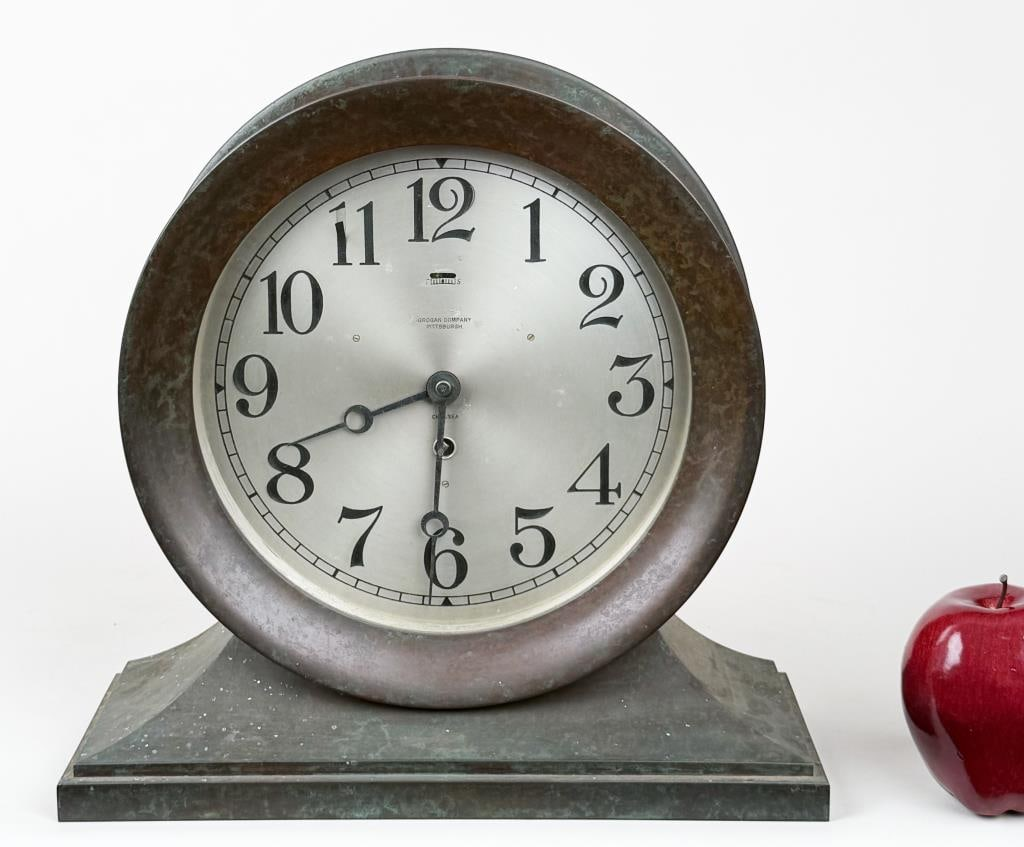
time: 8:30
